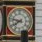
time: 7:47
